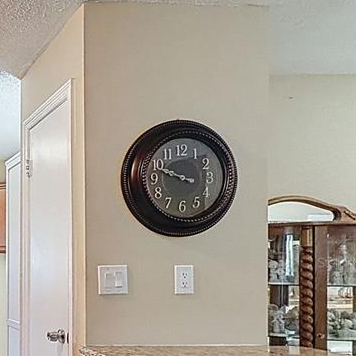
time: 9:48
